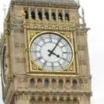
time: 4:05
